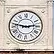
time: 2:46
